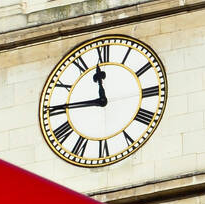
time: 11:45
